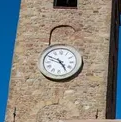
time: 4:48
